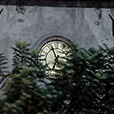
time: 6:56
